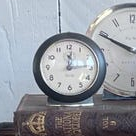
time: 12:14
